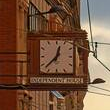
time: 12:37
